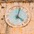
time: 4:02
